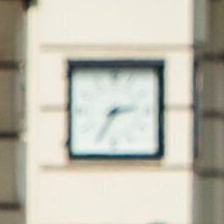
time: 2:35
